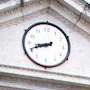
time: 8:41
